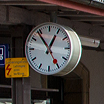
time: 12:53
